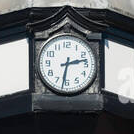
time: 2:32
